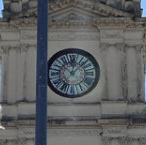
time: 12:07
